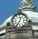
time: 12:34
